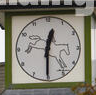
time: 12:30
